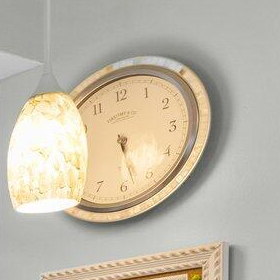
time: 5:28
